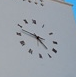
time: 4:48
